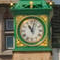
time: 11:02
